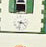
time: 3:32
